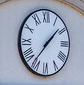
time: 1:36
